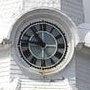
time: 10:46
